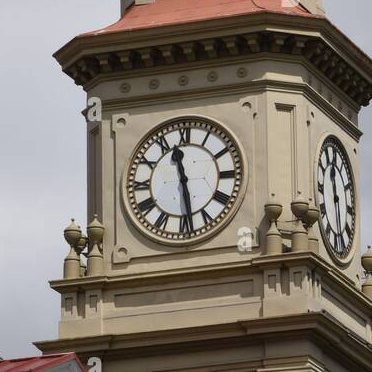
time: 11:28
